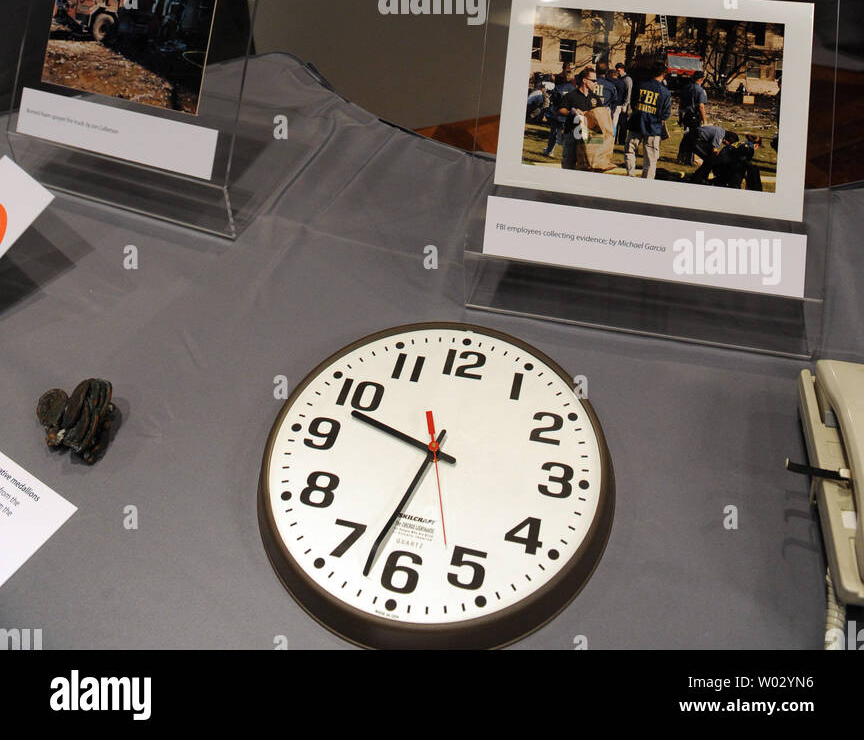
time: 9:32
